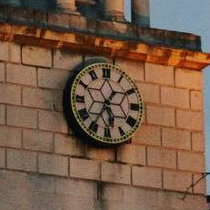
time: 5:35
